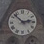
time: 2:52
